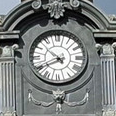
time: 4:40
